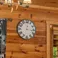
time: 12:16
